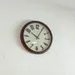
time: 10:04
